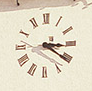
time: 3:20
